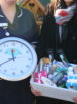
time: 11:40
